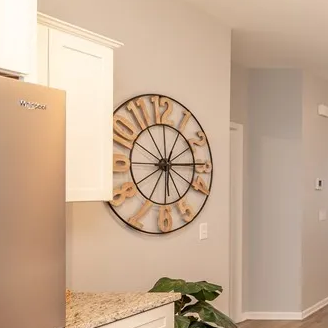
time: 6:14
